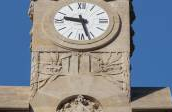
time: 9:27
